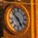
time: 4:52
